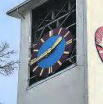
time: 1:41
